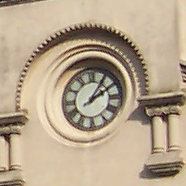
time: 2:06
